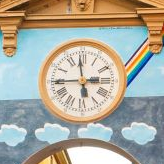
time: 2:58
